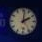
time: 2:01
